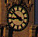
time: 8:51
